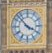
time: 3:52
